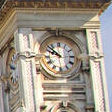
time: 9:51
